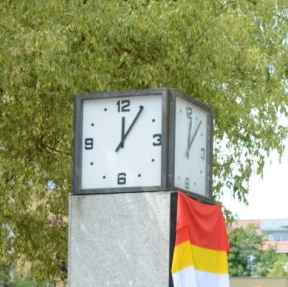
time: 12:05
